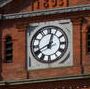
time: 12:41
